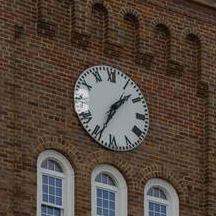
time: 1:34
